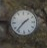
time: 1:36
